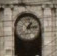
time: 1:13
